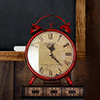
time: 12:22
